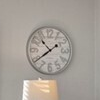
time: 10:39
